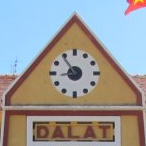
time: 8:54
